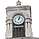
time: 1:02
